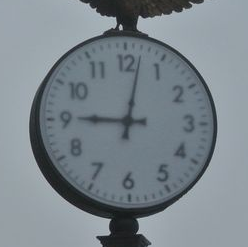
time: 9:01
